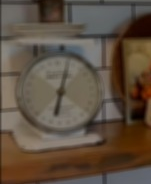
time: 6:02
